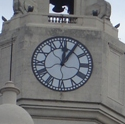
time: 12:05
